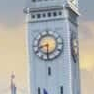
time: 8:30
